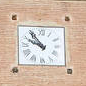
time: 9:53
